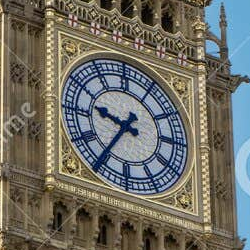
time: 9:35
